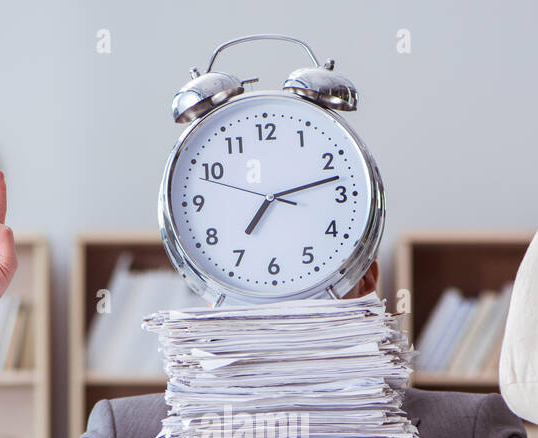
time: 7:12
